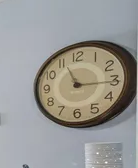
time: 11:15
